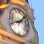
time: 1:41
